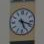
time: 5:18
